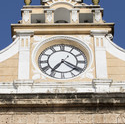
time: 7:20
